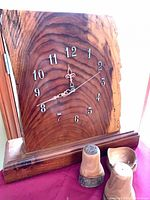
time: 11:41
